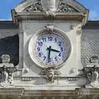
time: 3:31
